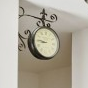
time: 8:45
